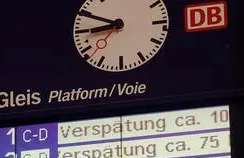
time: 8:49
